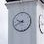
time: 9:41
